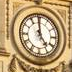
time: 4:59
